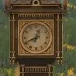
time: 12:41
